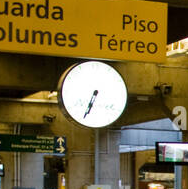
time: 6:33
